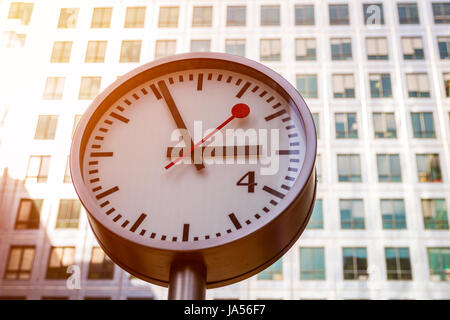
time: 1:56
